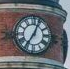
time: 7:04
